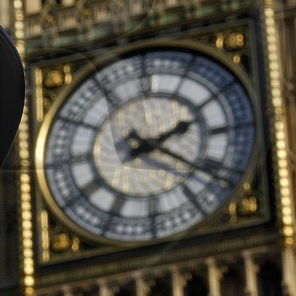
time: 2:21
